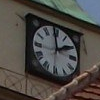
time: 1:59
